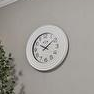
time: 10:08
